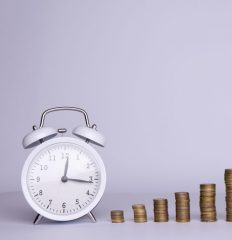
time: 12:16
